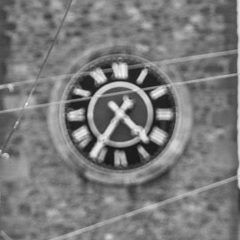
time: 4:36
